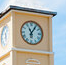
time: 11:05
